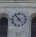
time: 4:53
